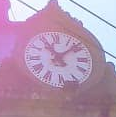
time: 11:08
